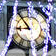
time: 8:53
